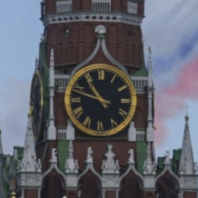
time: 10:48
